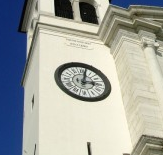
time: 3:02
